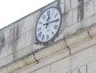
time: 12:14
